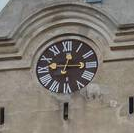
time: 12:14
